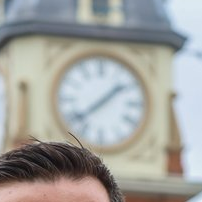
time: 1:38
